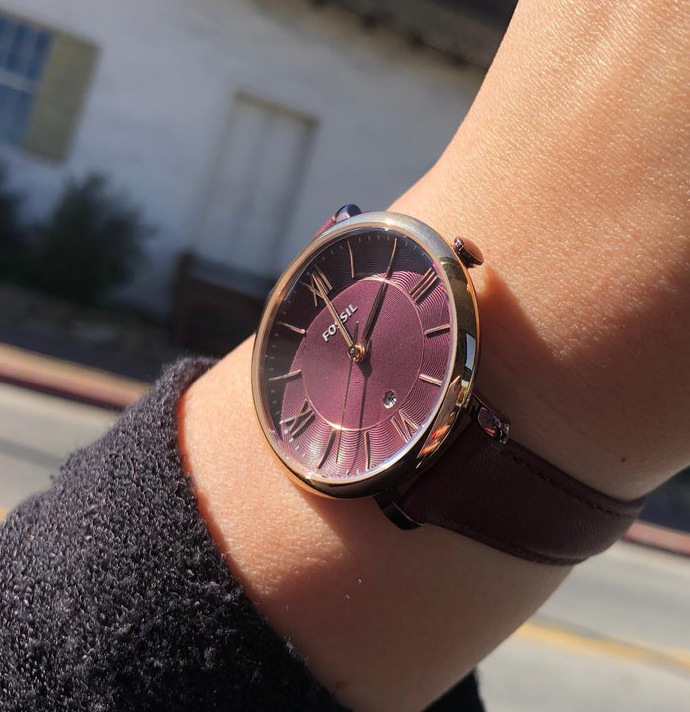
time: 11:05
